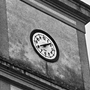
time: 8:08
